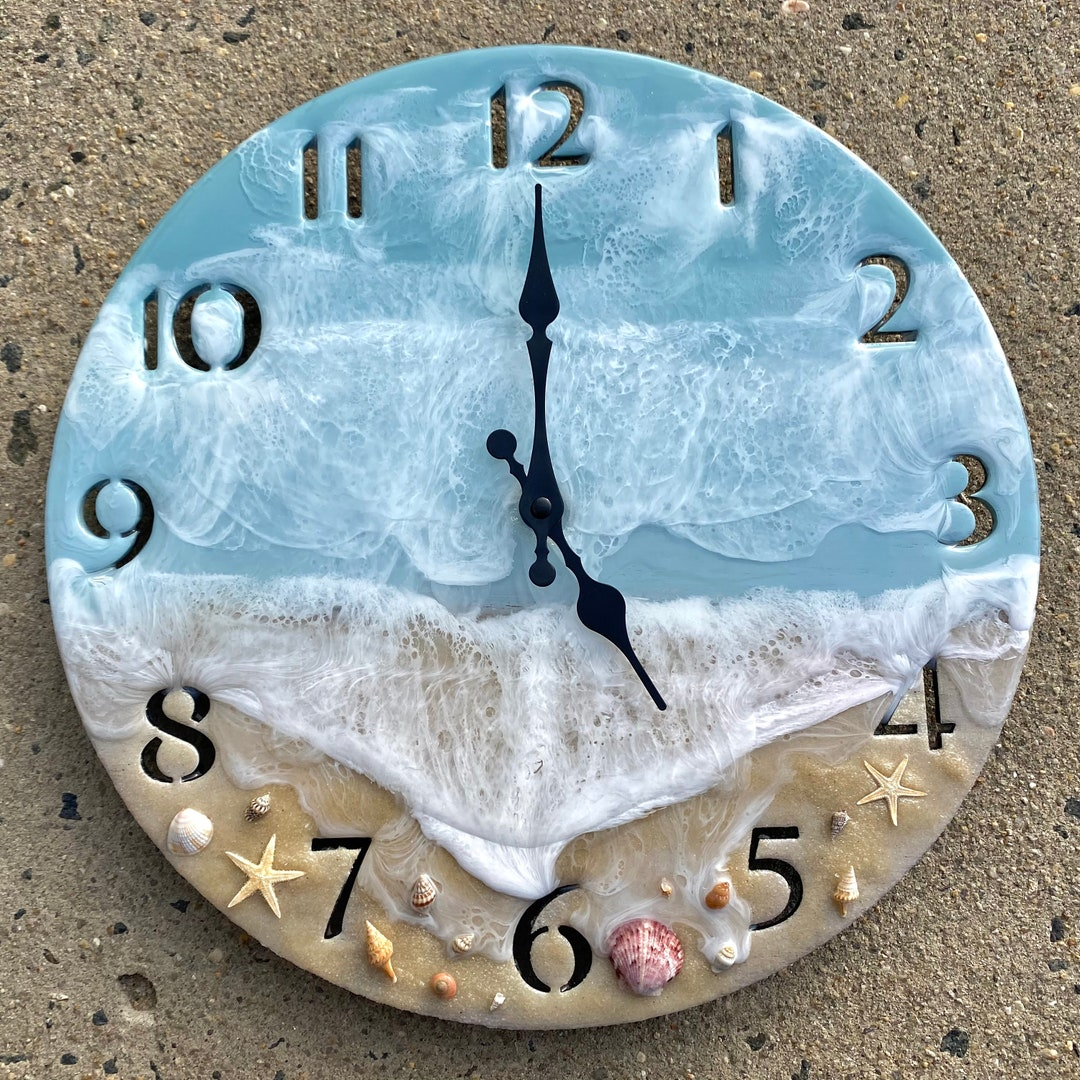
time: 5:00
